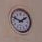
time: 1:47
